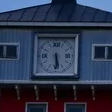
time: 5:29
